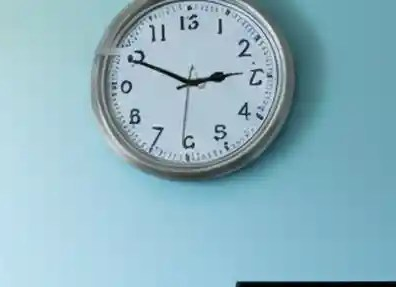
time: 2:49
